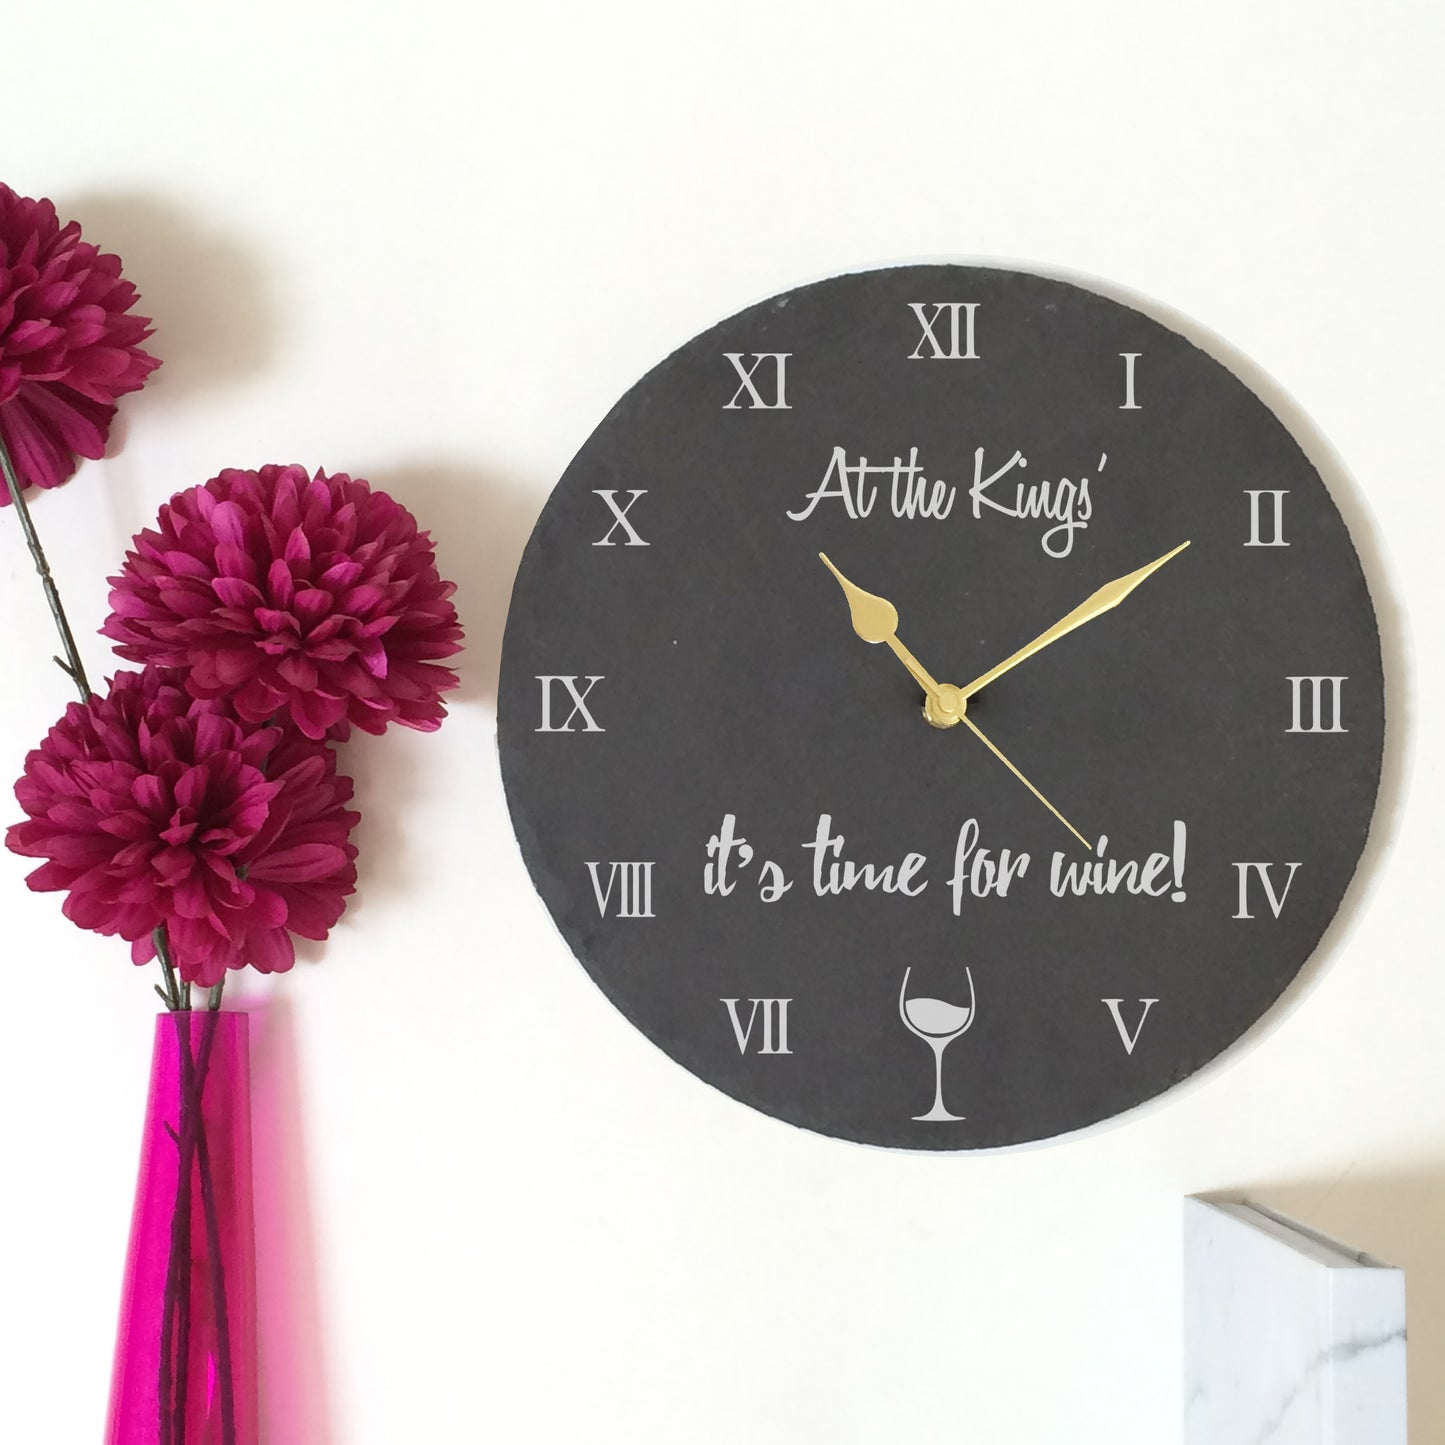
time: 10:09
